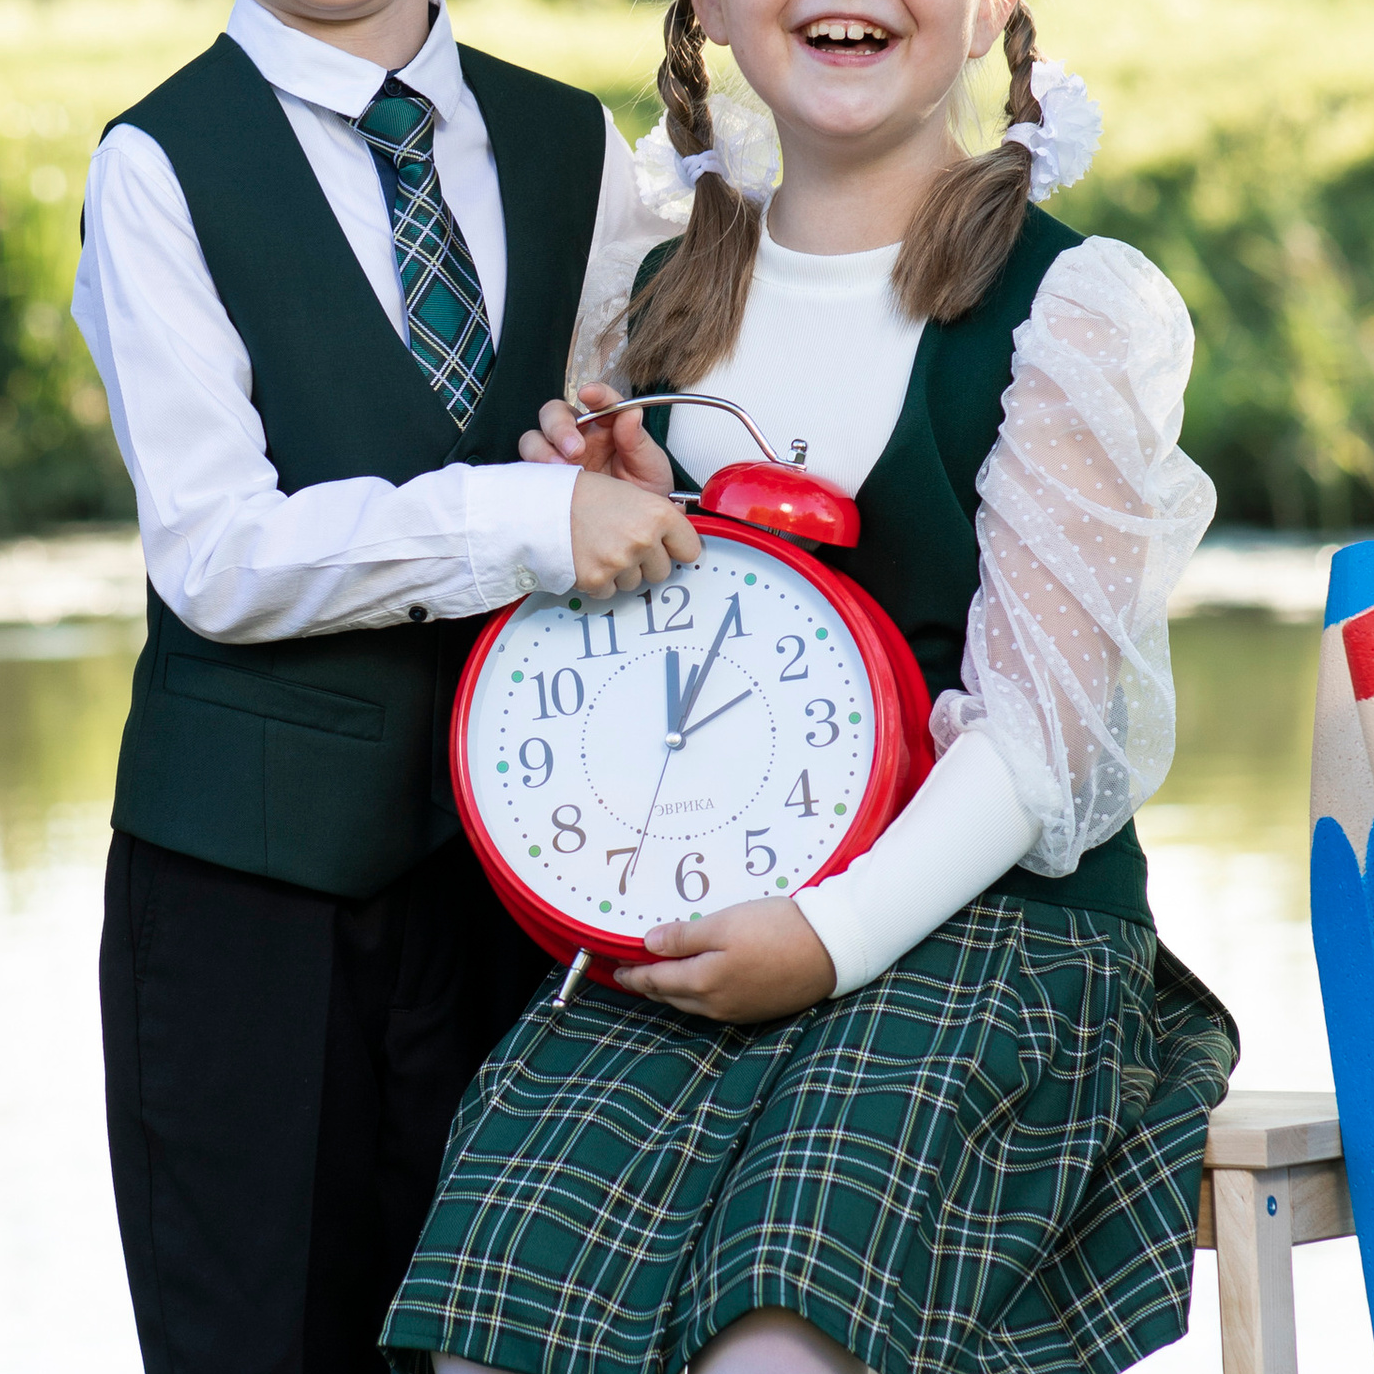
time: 12:04
